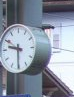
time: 9:30
